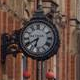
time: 6:40
